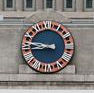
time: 8:47
